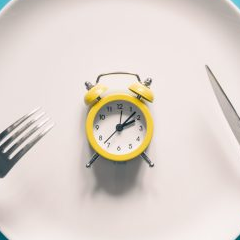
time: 2:07
